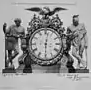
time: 12:29
